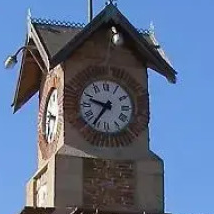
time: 9:35
